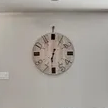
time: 6:31
